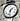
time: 1:32
